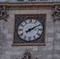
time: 2:09
